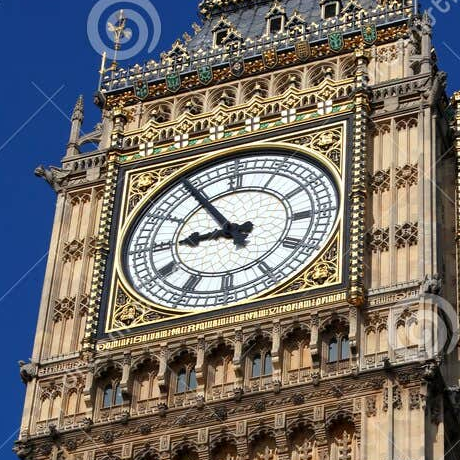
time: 8:54
